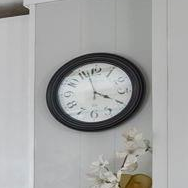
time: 3:57
